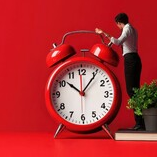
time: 10:06
